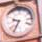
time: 9:36
